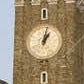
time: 1:01
